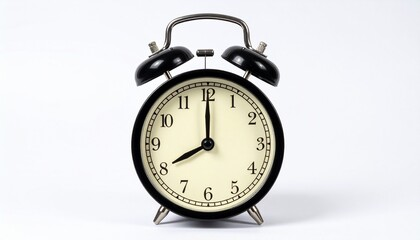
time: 8:00
